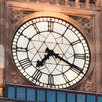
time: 7:19
